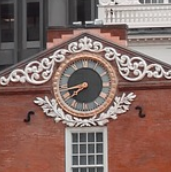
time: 7:42
